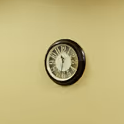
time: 11:31
